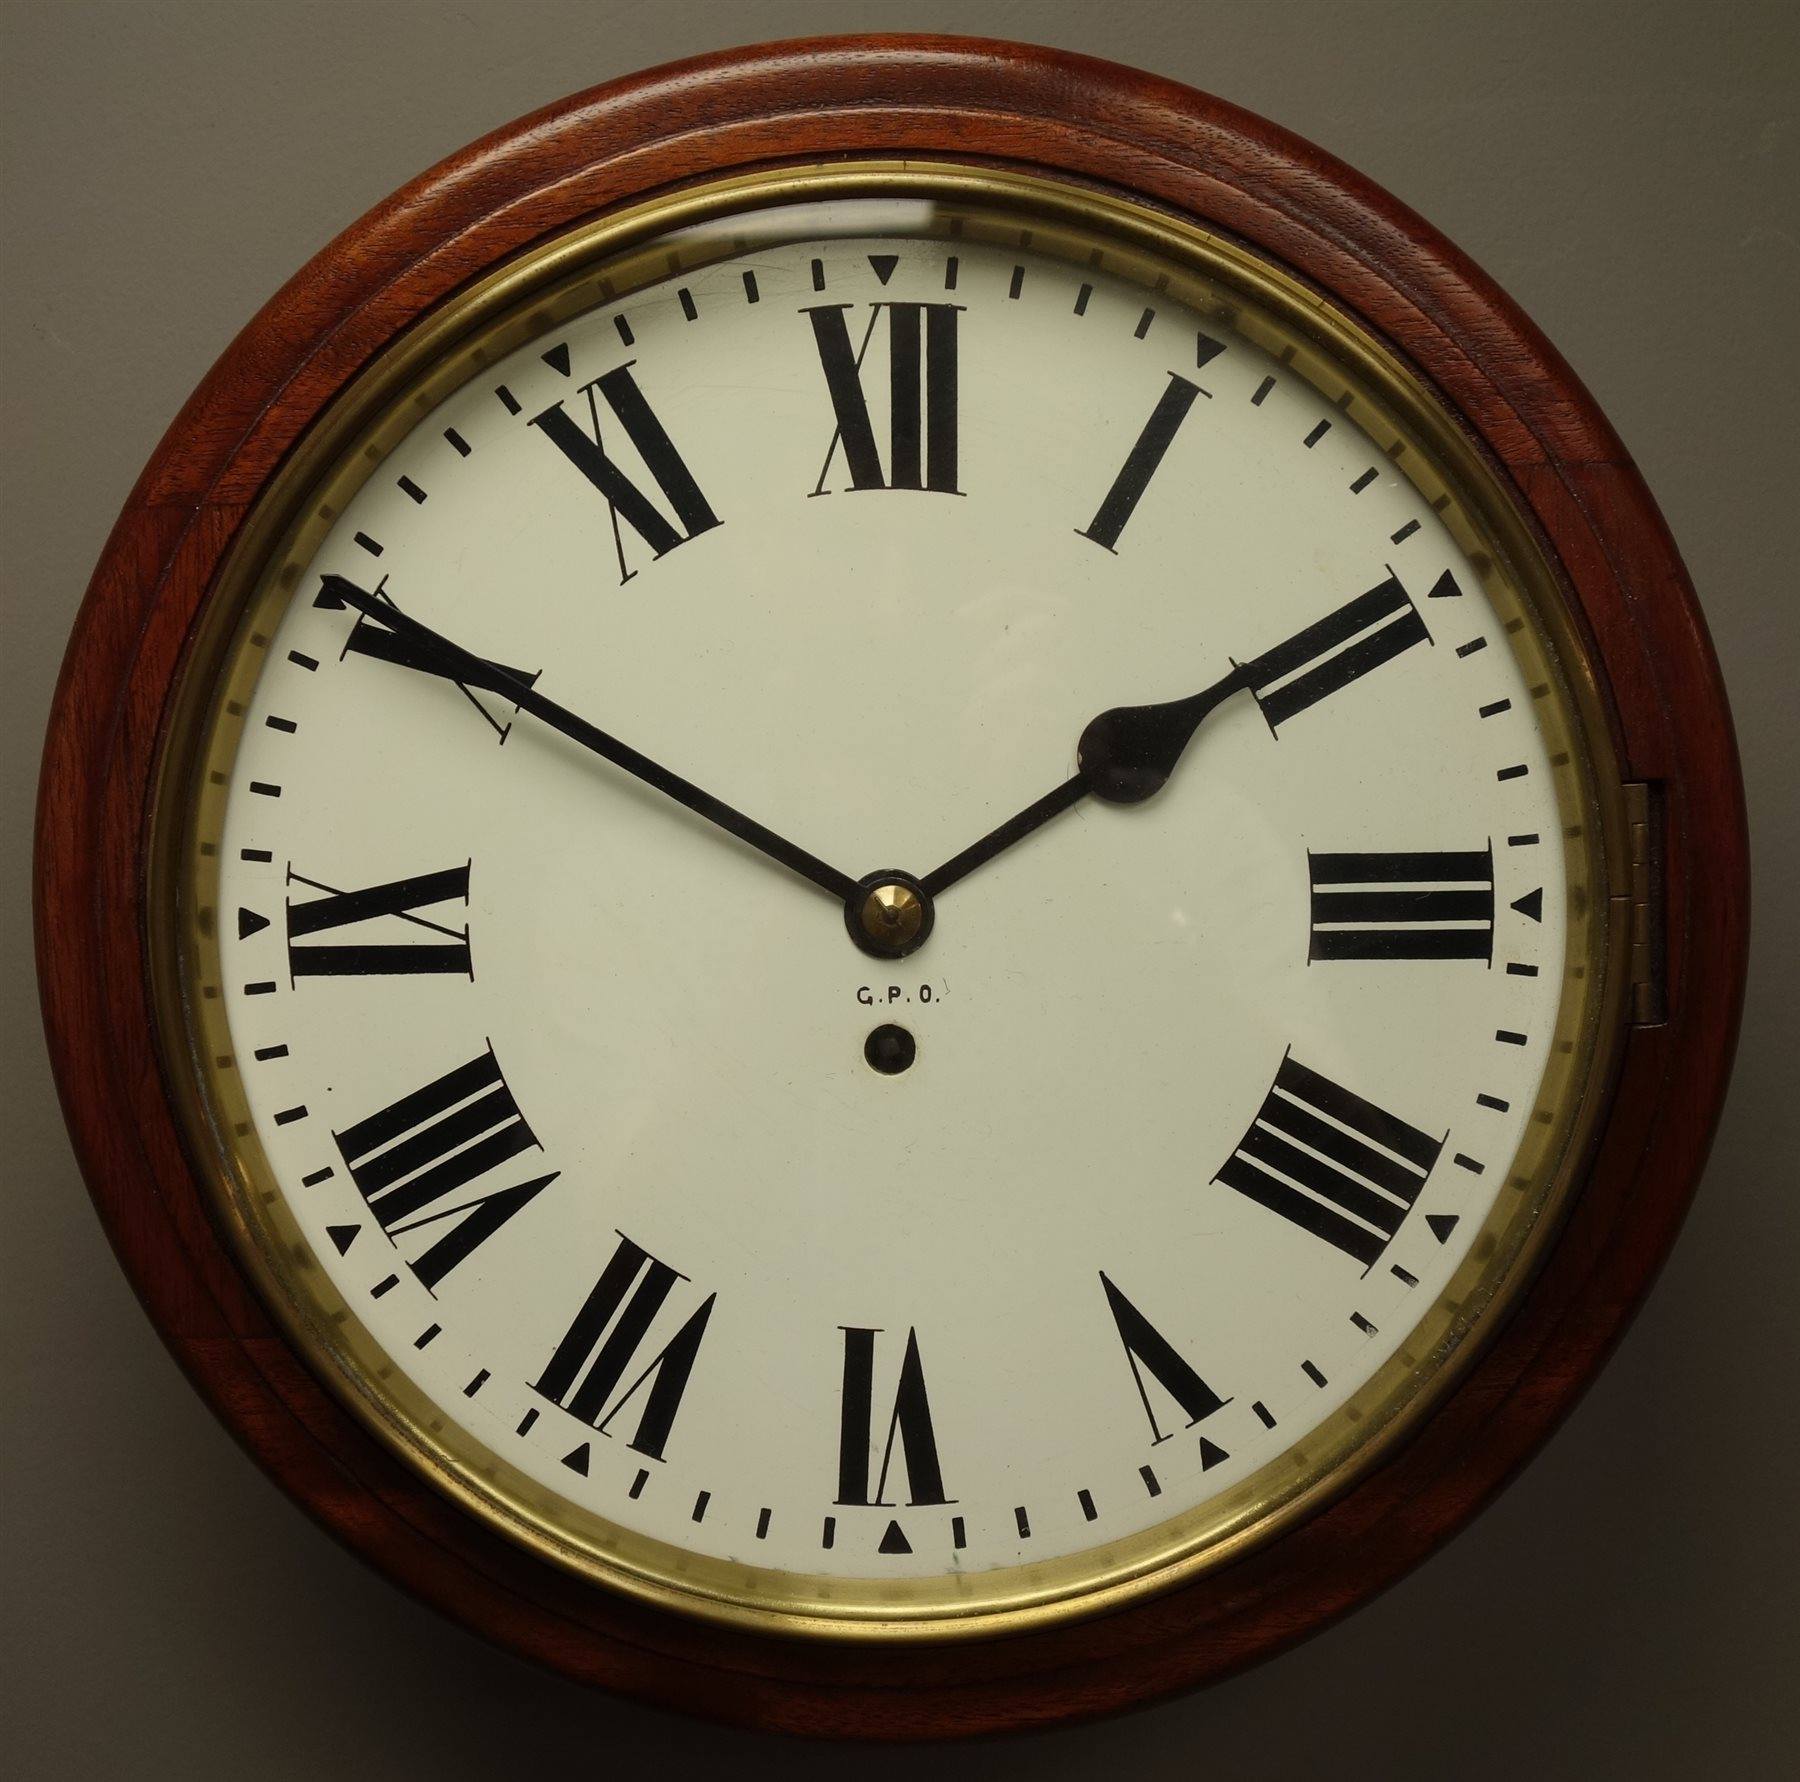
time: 1:50
